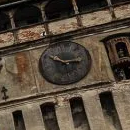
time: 2:50
